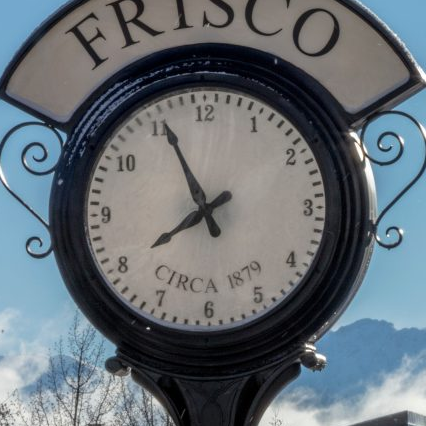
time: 7:55
